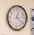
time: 12:21
